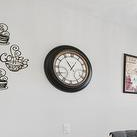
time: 12:54
